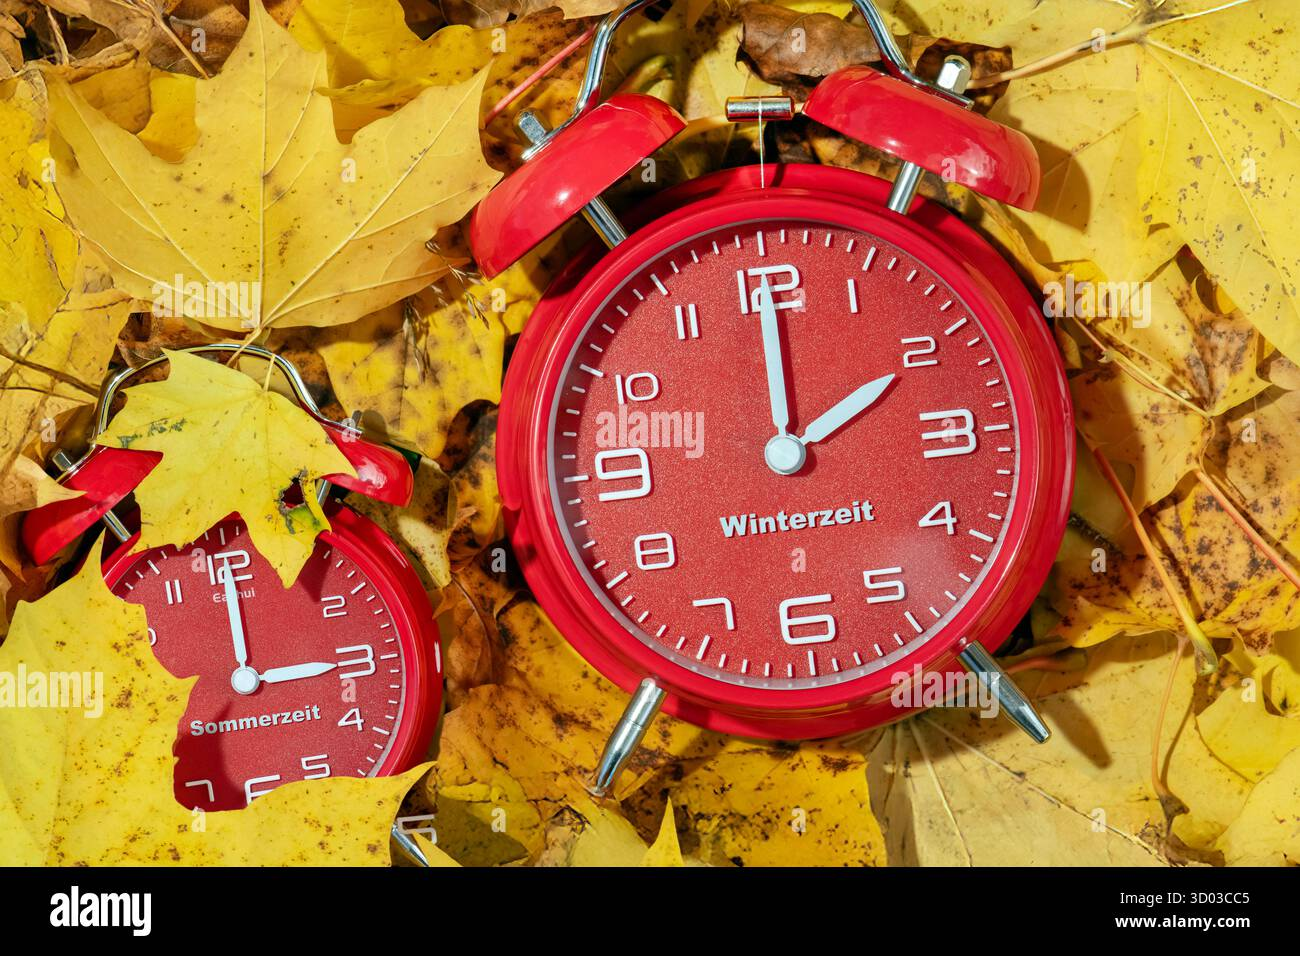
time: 2:00
